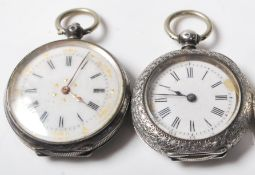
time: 4:04
